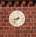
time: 8:37
